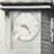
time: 9:23
